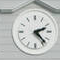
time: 2:22
